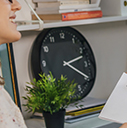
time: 2:19
